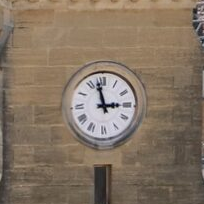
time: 2:57
